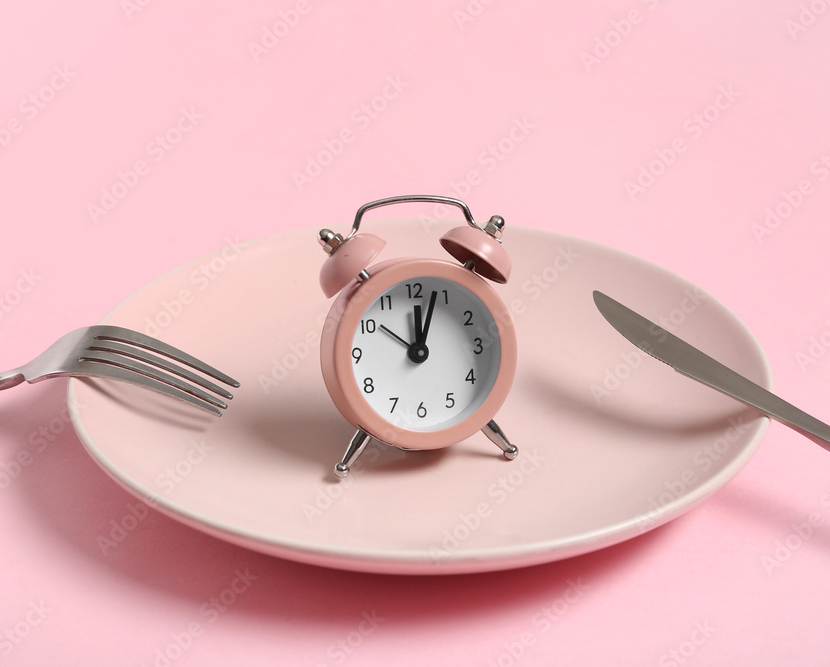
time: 12:03
